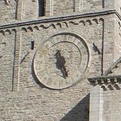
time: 5:26
